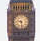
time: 9:28
